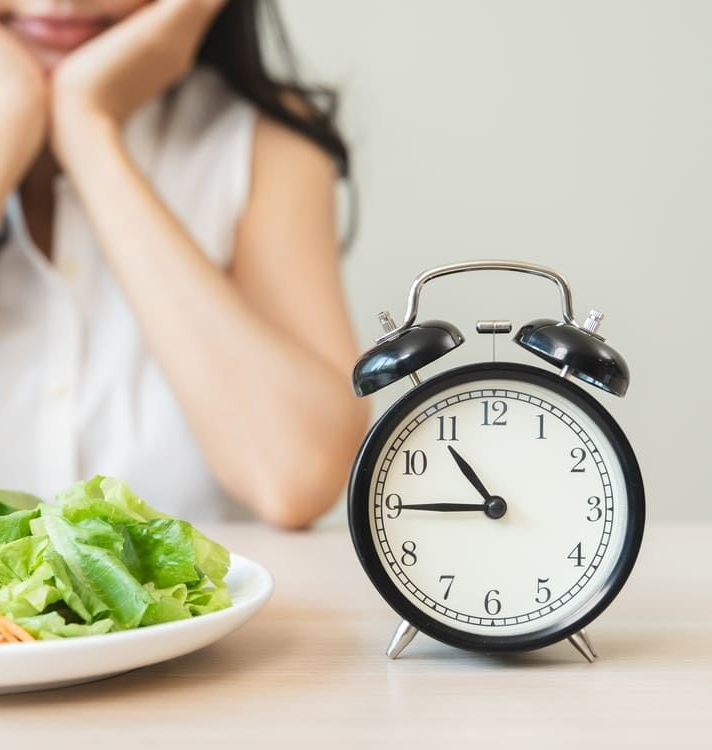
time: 10:45
